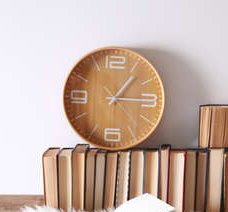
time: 1:14
